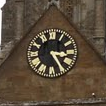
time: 3:24
